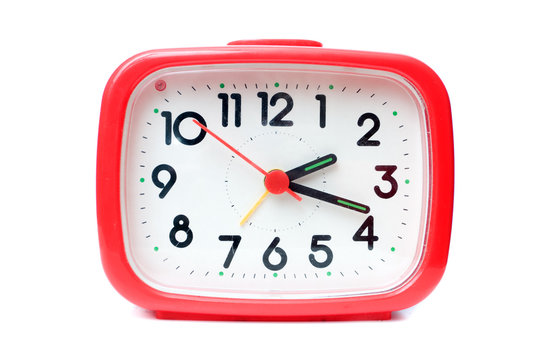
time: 2:18
